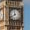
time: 7:58
